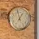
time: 12:57
